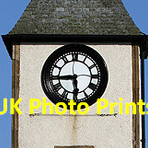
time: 5:44
